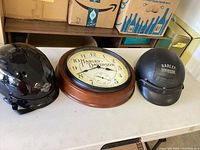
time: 3:40
